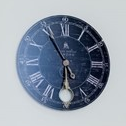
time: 5:54
